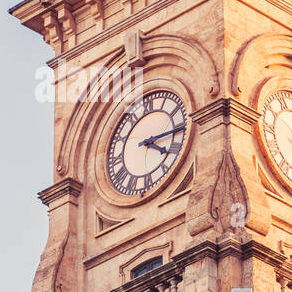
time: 4:14
